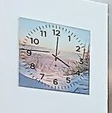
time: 4:00
